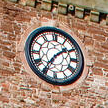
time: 1:35
